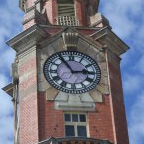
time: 2:54
